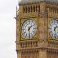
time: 1:29
